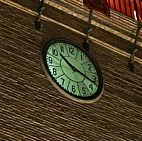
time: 10:17
